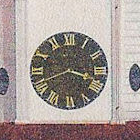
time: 3:41
